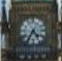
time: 4:35
